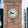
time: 9:42
